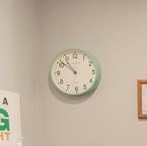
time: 10:51
